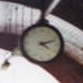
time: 4:12
